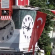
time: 12:46
